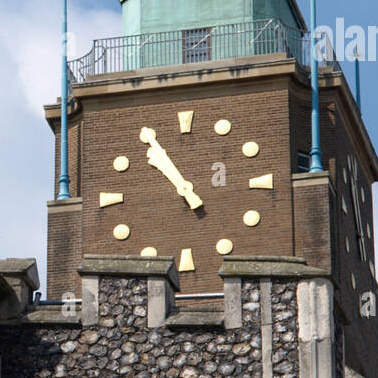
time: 10:55
